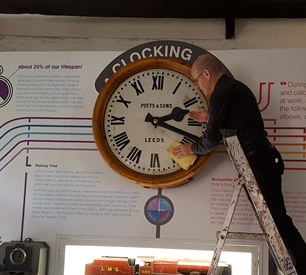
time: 2:18
